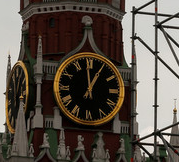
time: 12:59
